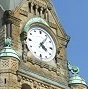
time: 4:06
